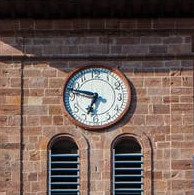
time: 6:47
